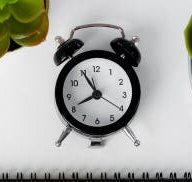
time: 7:54
